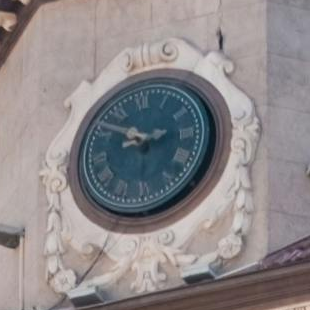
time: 2:50
